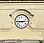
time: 2:45
